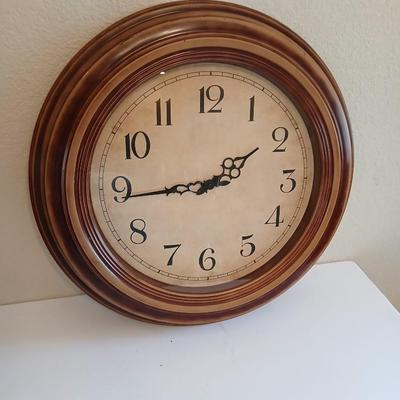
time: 1:44
